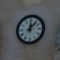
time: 12:07
